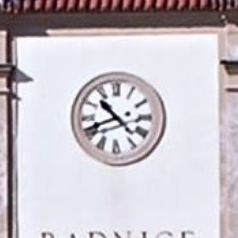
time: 10:41
